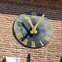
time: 10:36
